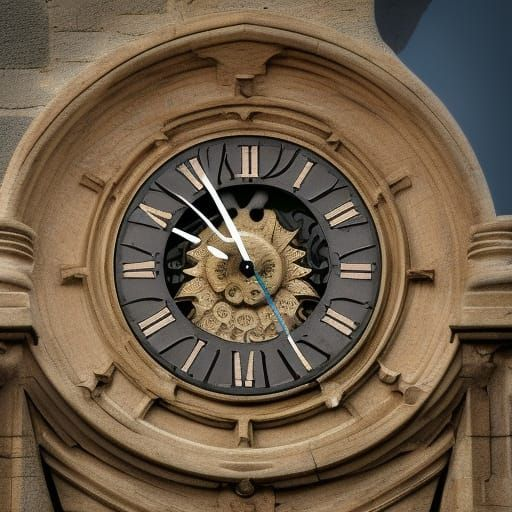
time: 9:55
